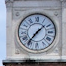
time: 1:36
